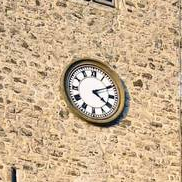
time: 4:10
